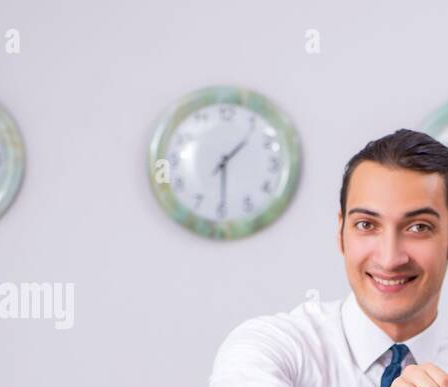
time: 1:29
